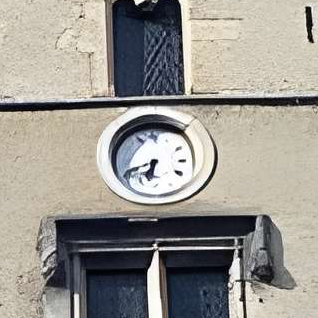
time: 6:41
